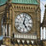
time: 5:02
